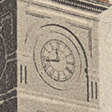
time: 11:43
